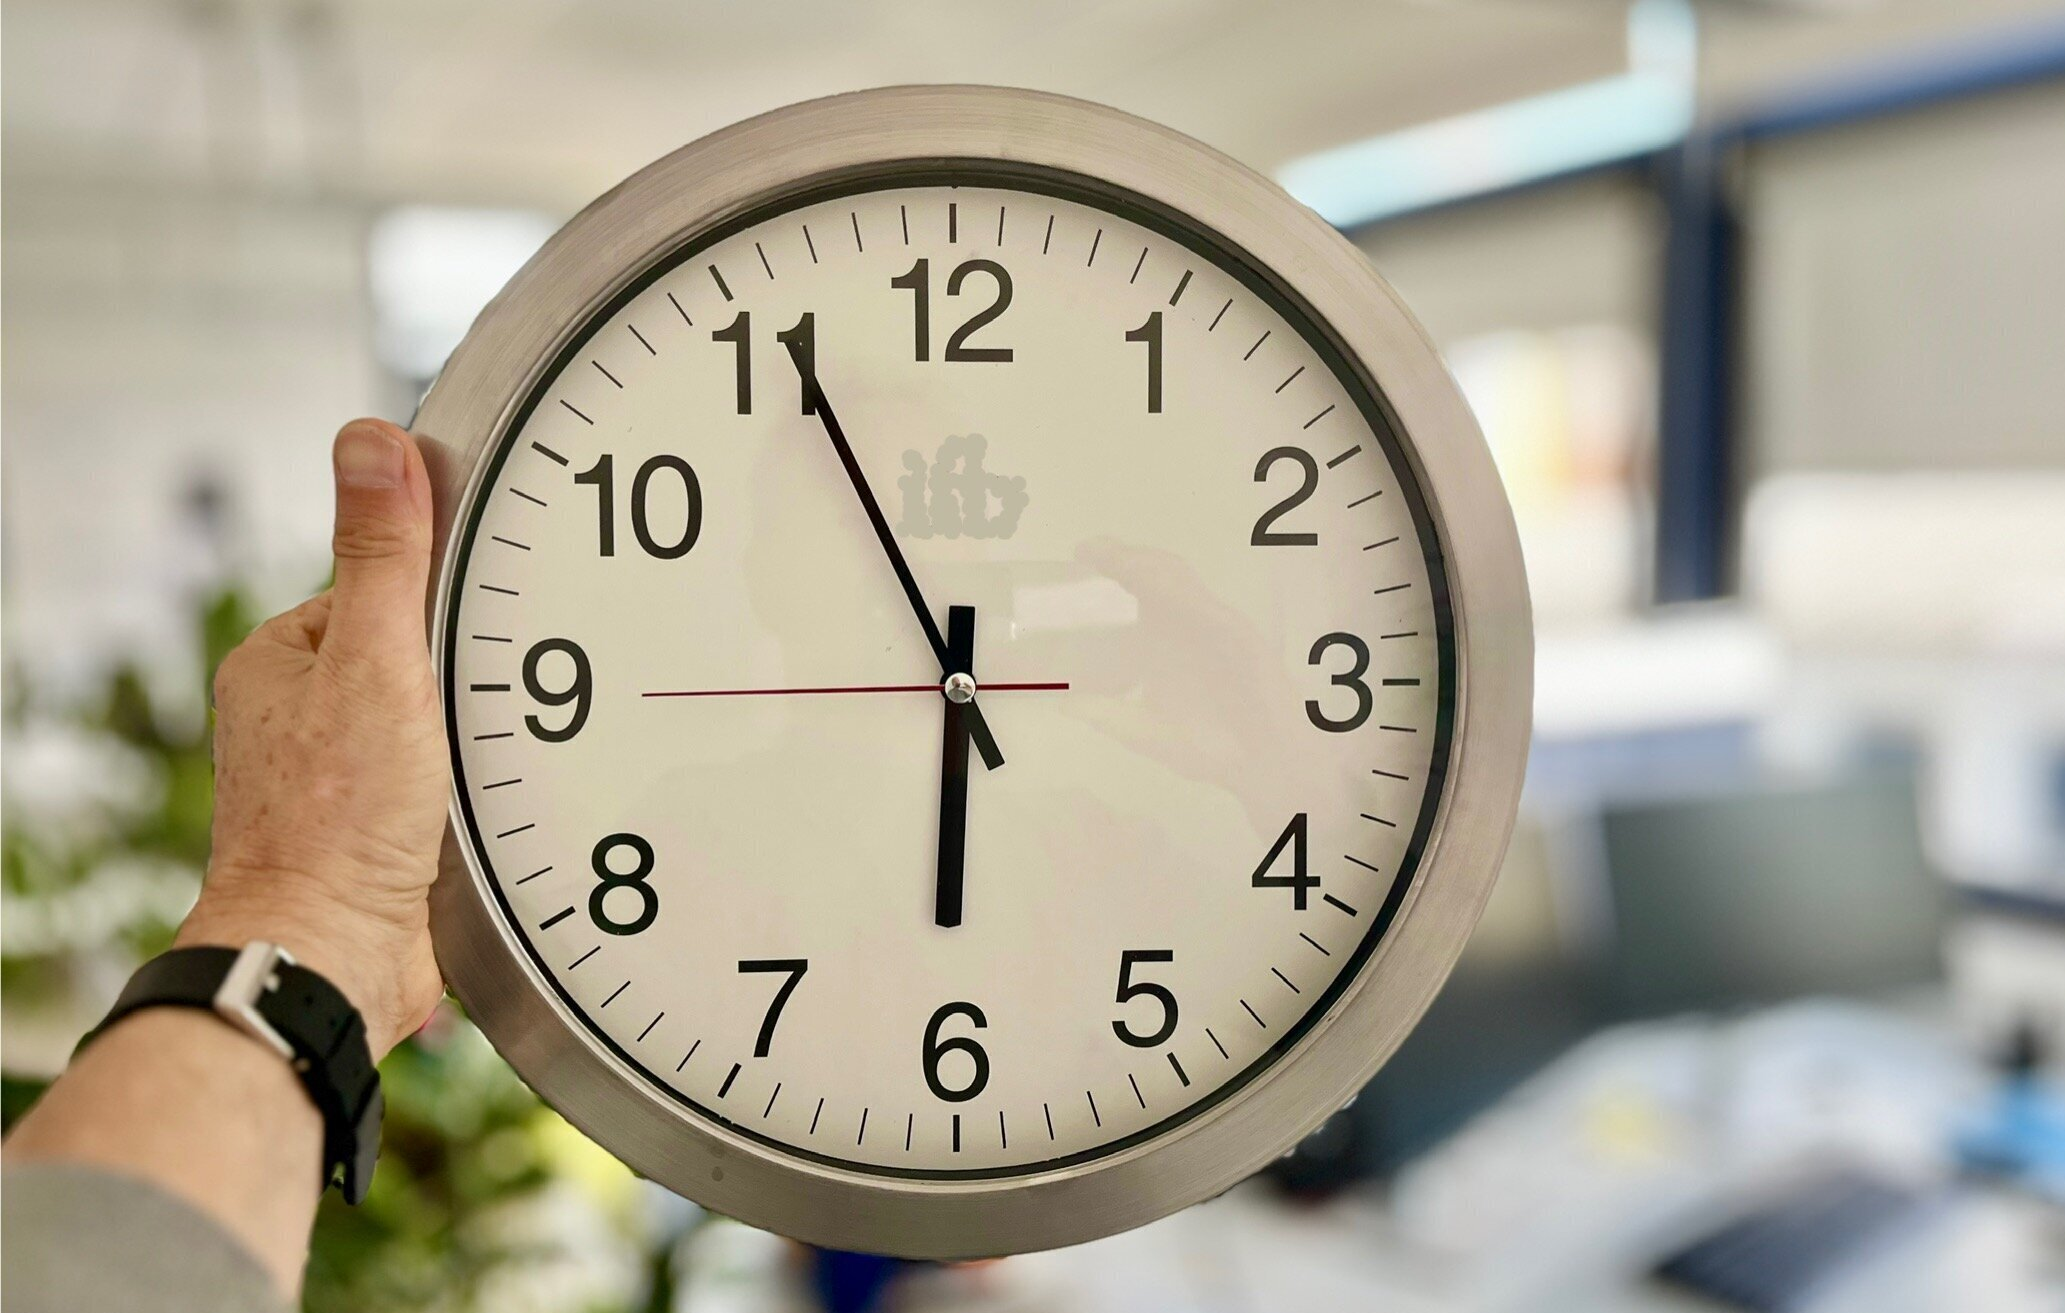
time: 5:55
